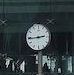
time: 2:44
